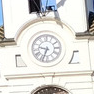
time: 9:33
